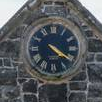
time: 4:20
